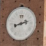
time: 8:12
